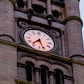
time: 7:26
